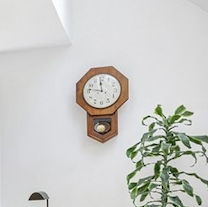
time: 11:46
